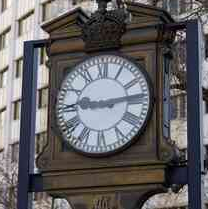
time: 9:13
